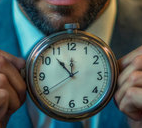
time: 11:52
